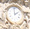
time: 1:59
